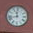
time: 11:42
